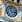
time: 2:56
